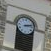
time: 2:12
